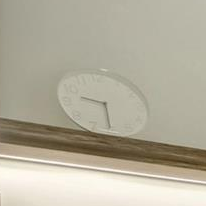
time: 9:30
